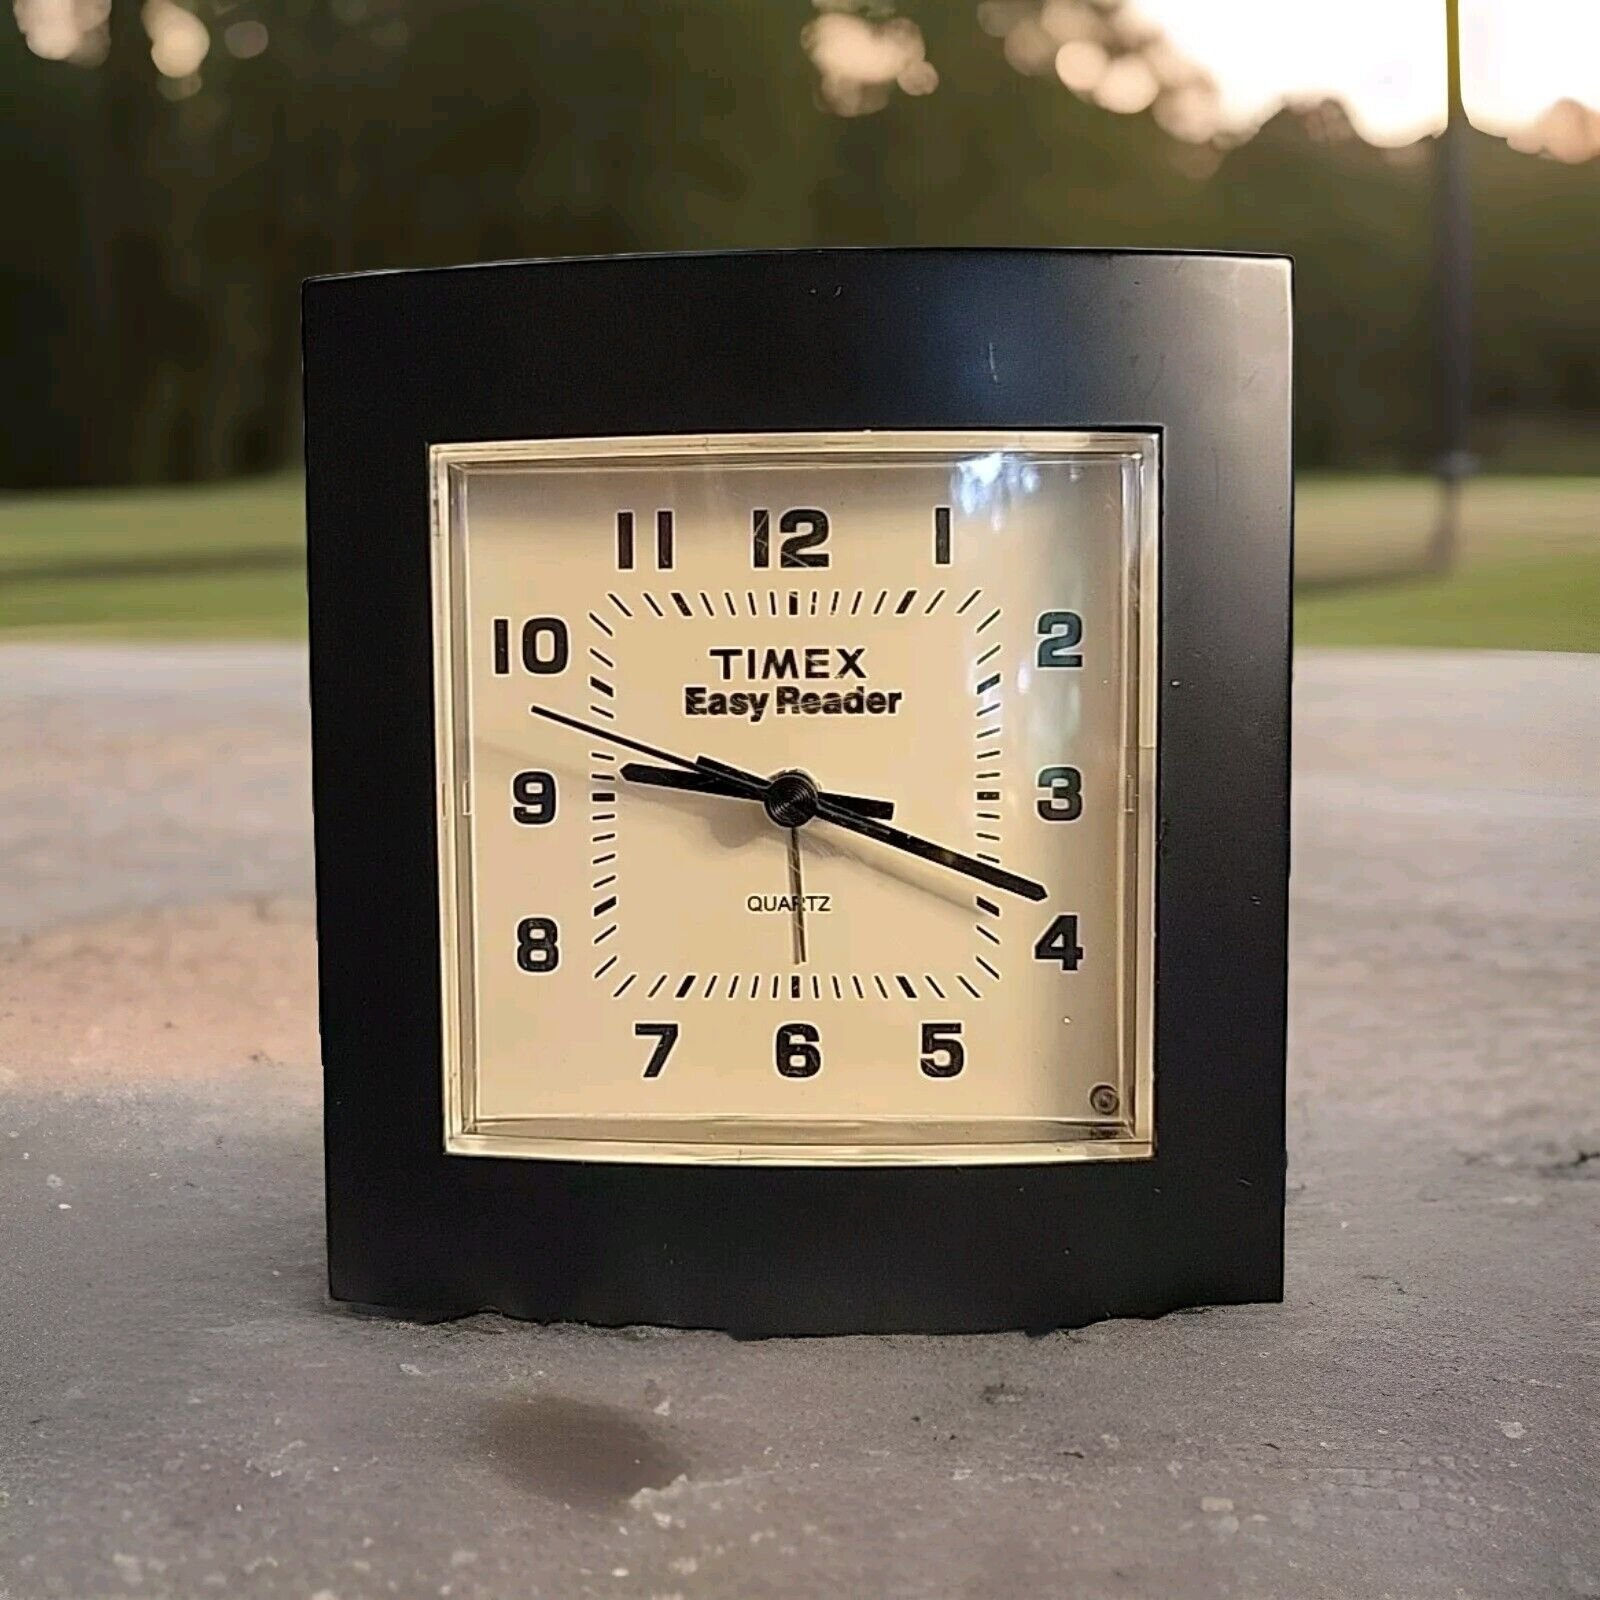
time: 9:18
